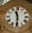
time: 11:30
